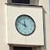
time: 11:49
